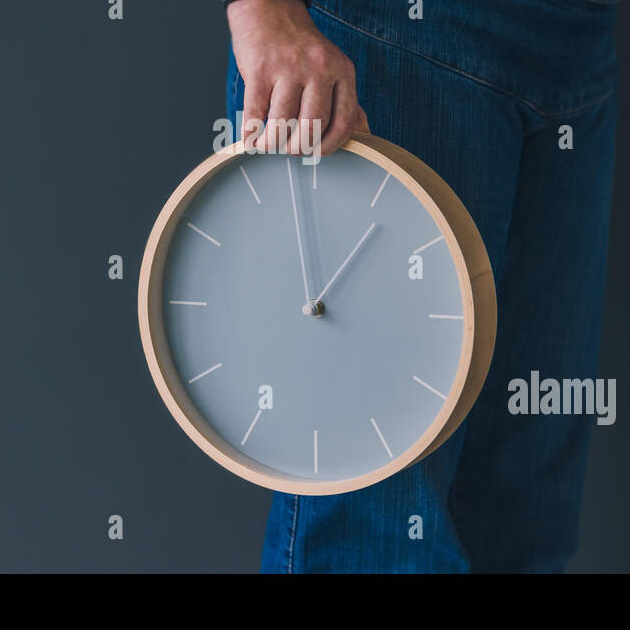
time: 12:58
